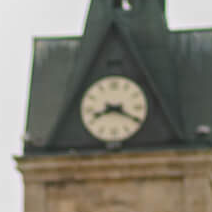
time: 8:19
